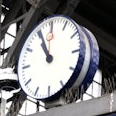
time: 10:56
